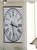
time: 3:28
